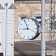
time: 8:56
